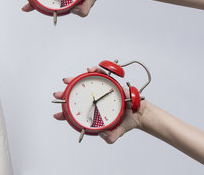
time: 6:10
